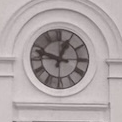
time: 12:47
